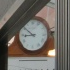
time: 8:51
